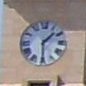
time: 1:29
